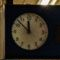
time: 11:52
